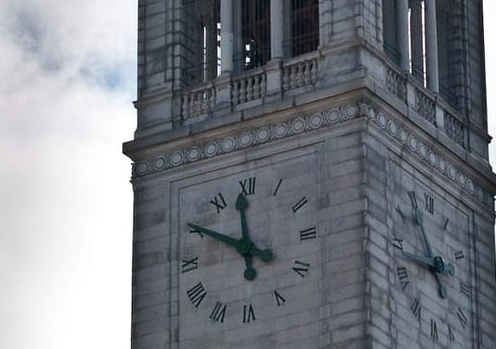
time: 11:50
